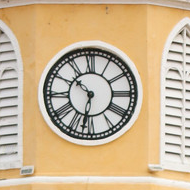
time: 10:32
